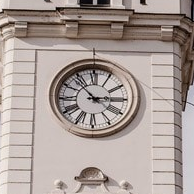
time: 2:53
